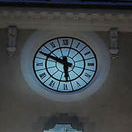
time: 5:49
